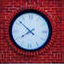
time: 7:52
